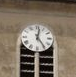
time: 12:24
